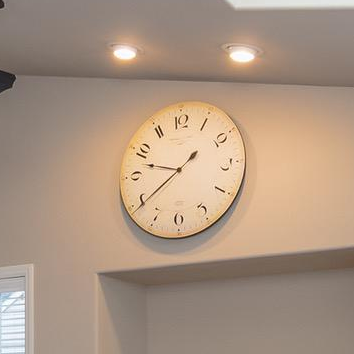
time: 1:39
